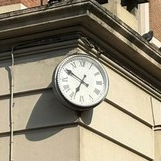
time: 6:50
